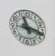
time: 11:17
